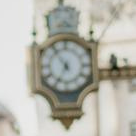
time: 6:54
